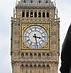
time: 3:28
